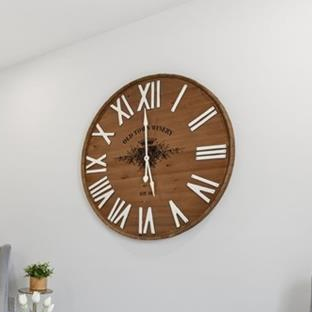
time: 8:59
